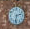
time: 2:32
